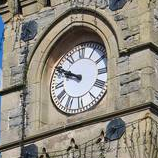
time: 9:50
